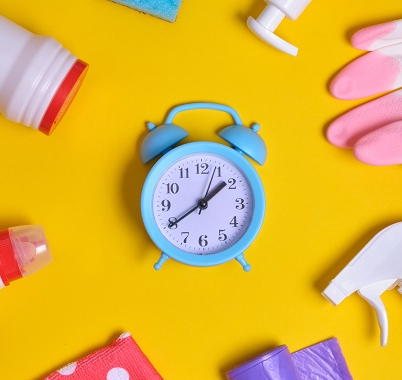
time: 1:39
